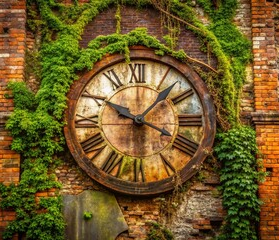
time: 10:07
